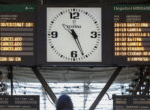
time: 4:26
